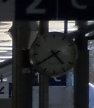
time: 4:39
